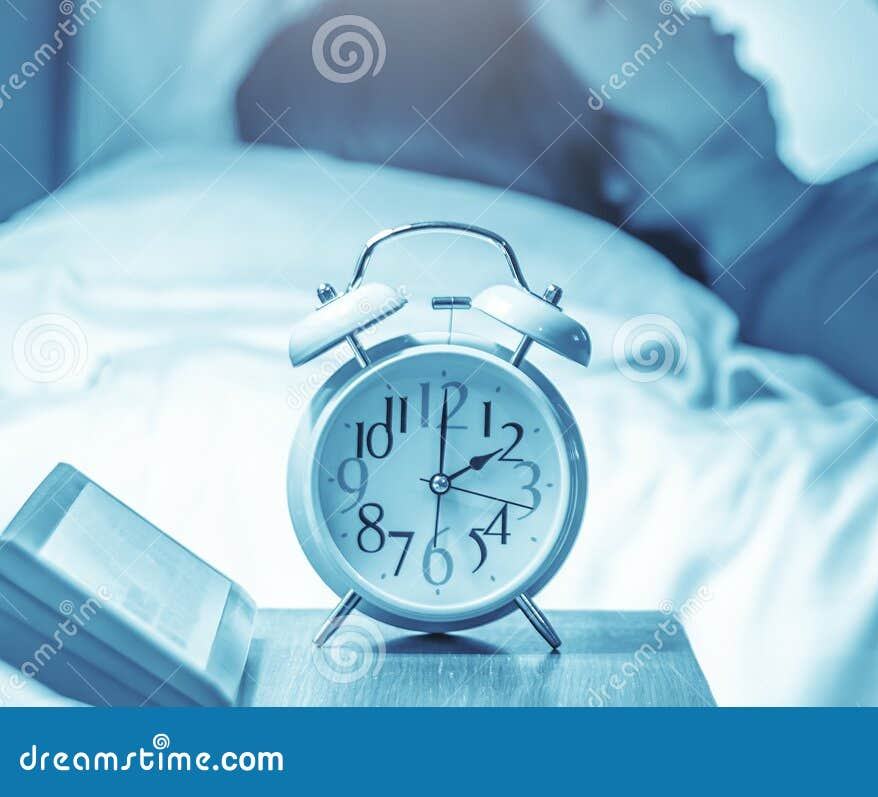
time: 2:00
